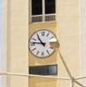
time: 10:46
